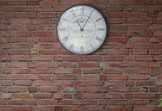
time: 11:04
